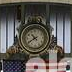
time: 10:39
